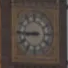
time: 8:45
